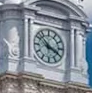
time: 3:52
